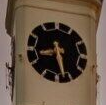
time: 8:27
